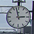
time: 2:57
